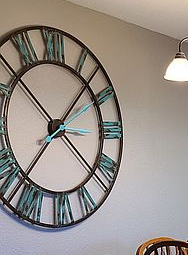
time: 7:07
